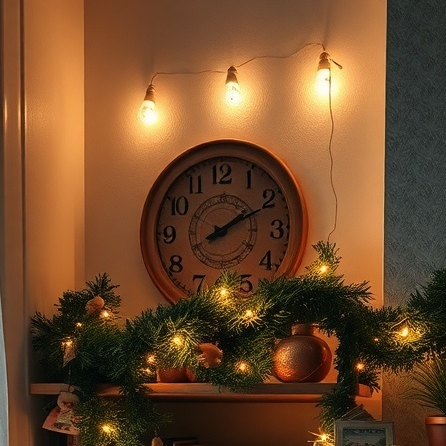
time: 2:11
